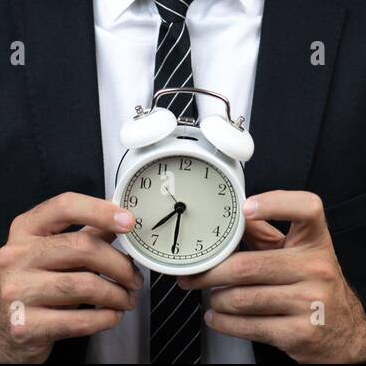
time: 7:30
